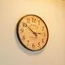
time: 2:50
